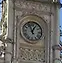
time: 12:57
